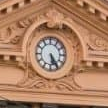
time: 5:24
